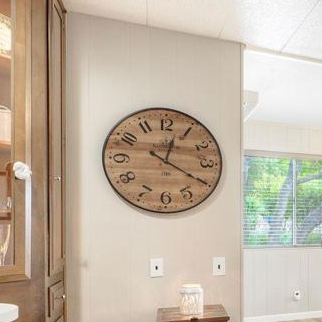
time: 12:20
